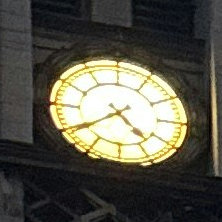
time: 4:39
